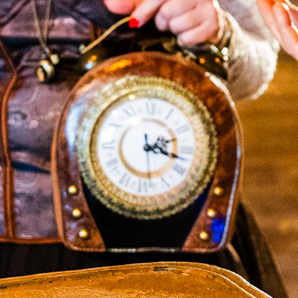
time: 2:18
